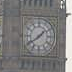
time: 1:39
